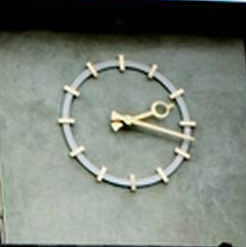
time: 2:17
